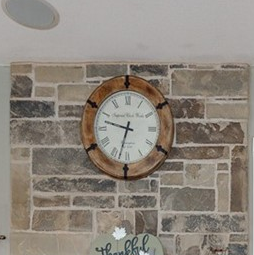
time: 9:32
